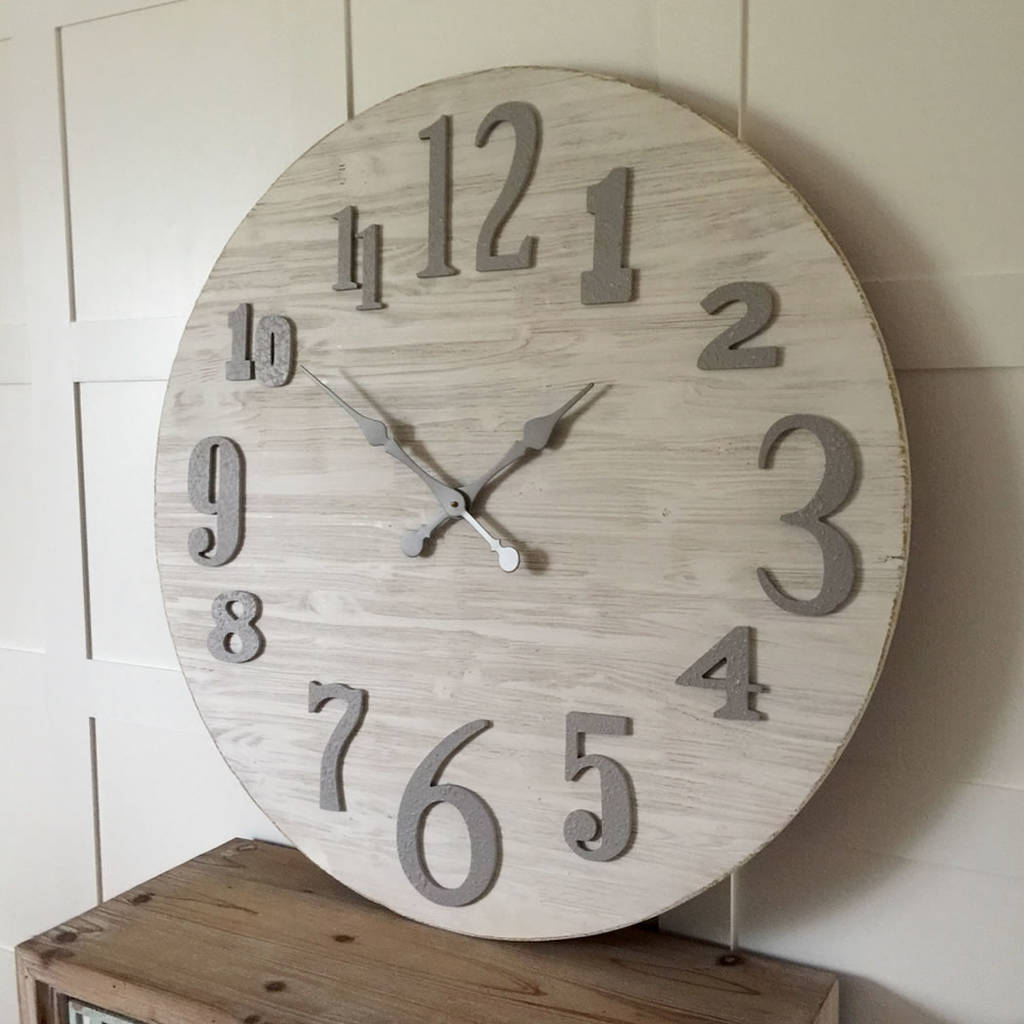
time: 1:50
